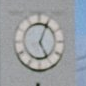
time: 5:04
